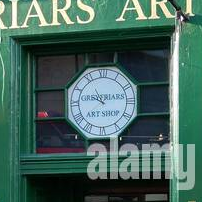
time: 10:47
